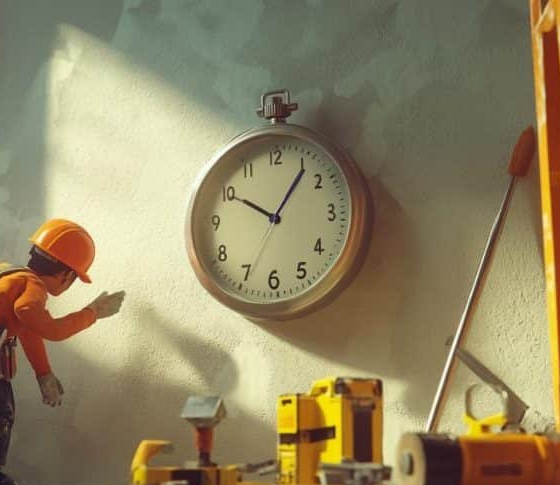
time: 10:05
